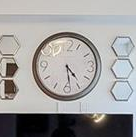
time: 4:28
